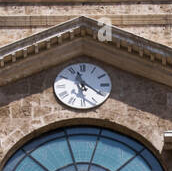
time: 11:20
